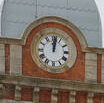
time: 12:01
